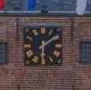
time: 1:29
